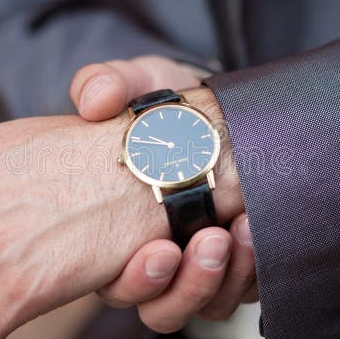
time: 9:44
